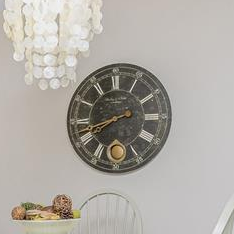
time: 8:41
